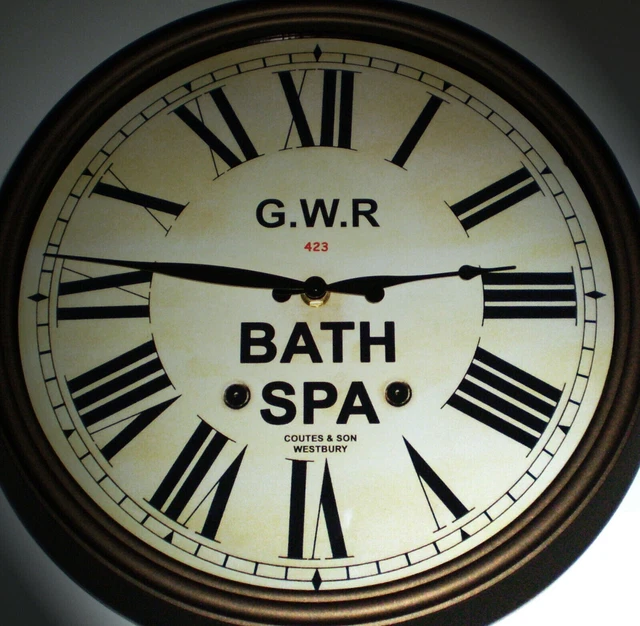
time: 2:46
